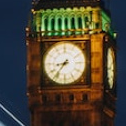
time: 8:36
